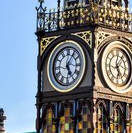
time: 5:05
